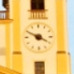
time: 3:49
